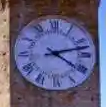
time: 4:12
